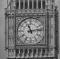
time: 11:13
